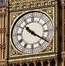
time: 10:20
